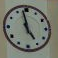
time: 4:57
